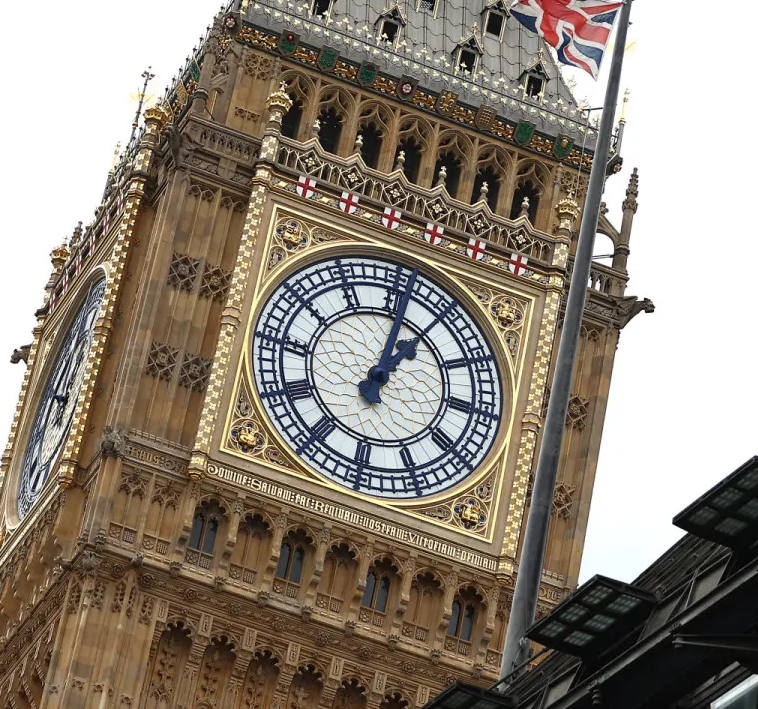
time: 1:01
